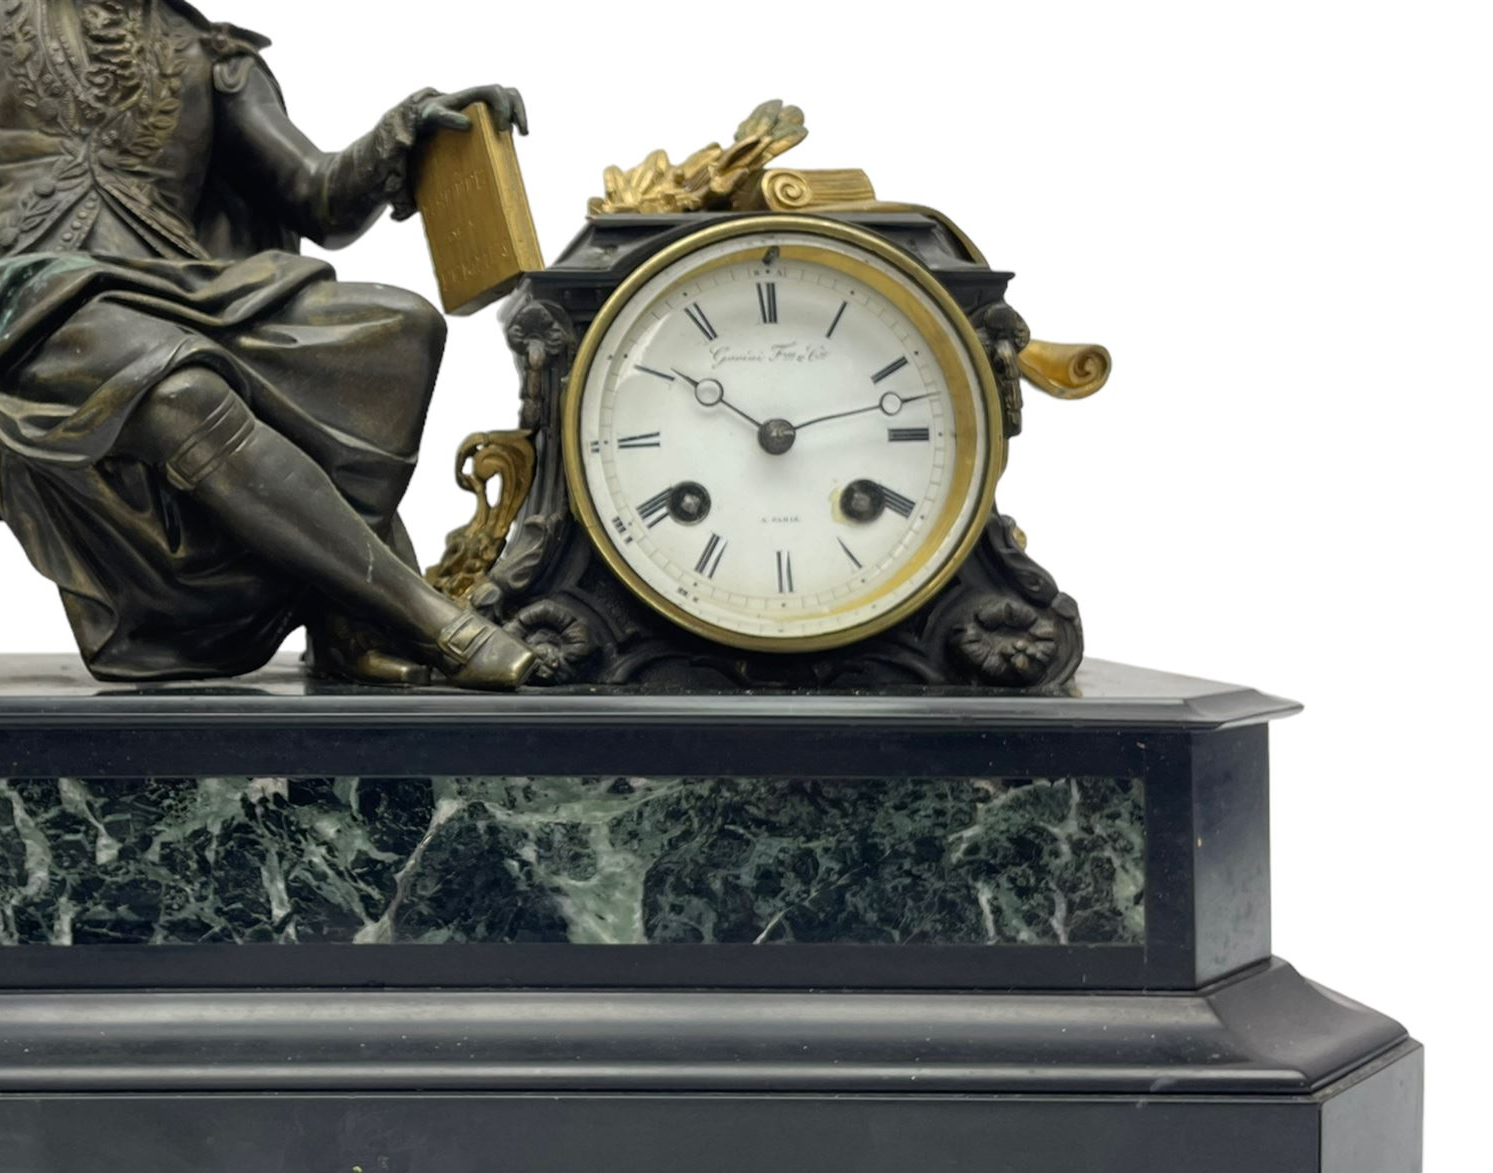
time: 10:12
